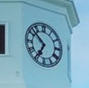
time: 6:52
